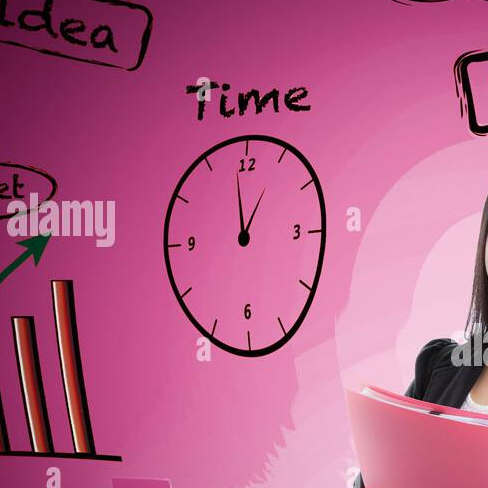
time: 12:58
